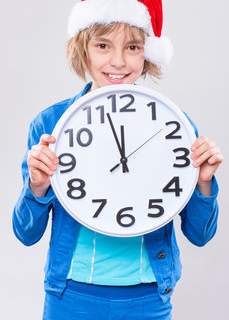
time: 11:56
